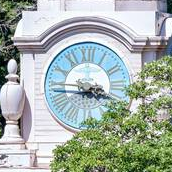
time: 3:45
